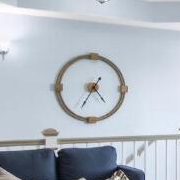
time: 4:35
